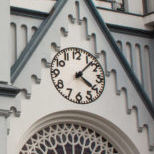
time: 4:07
